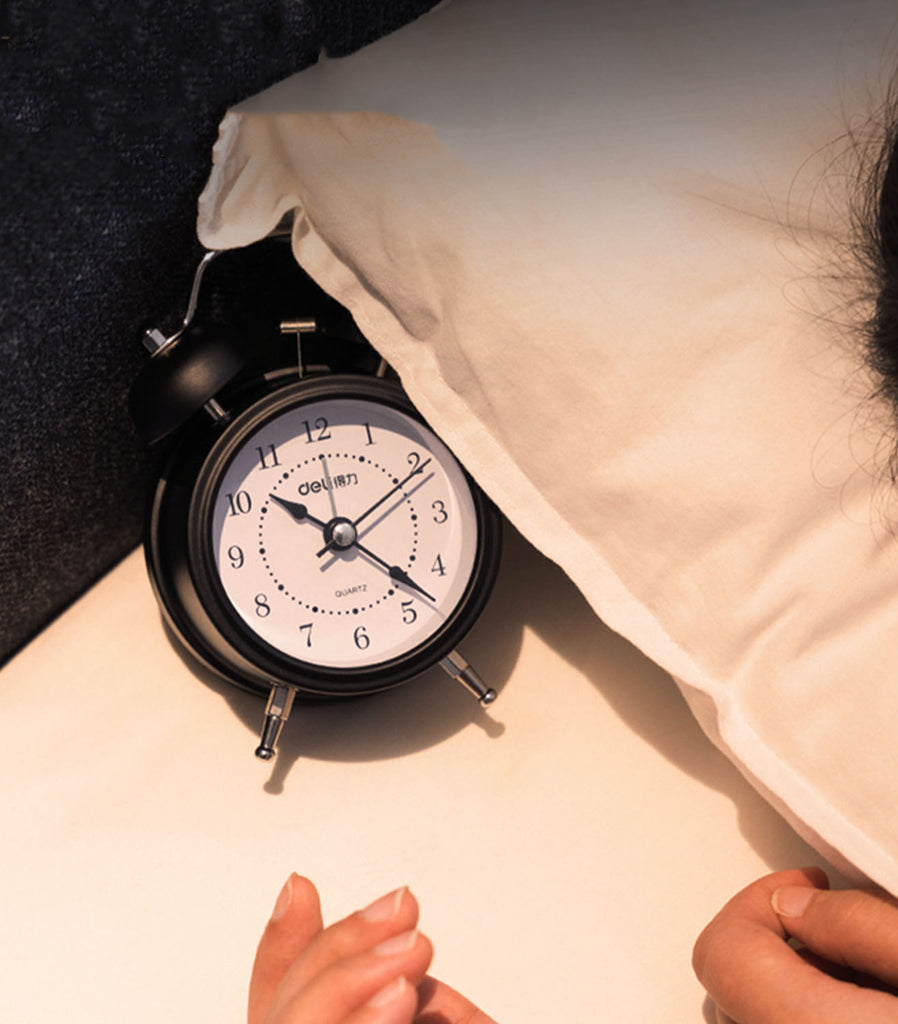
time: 10:22
